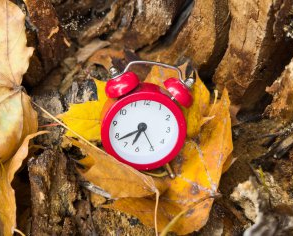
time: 6:38
